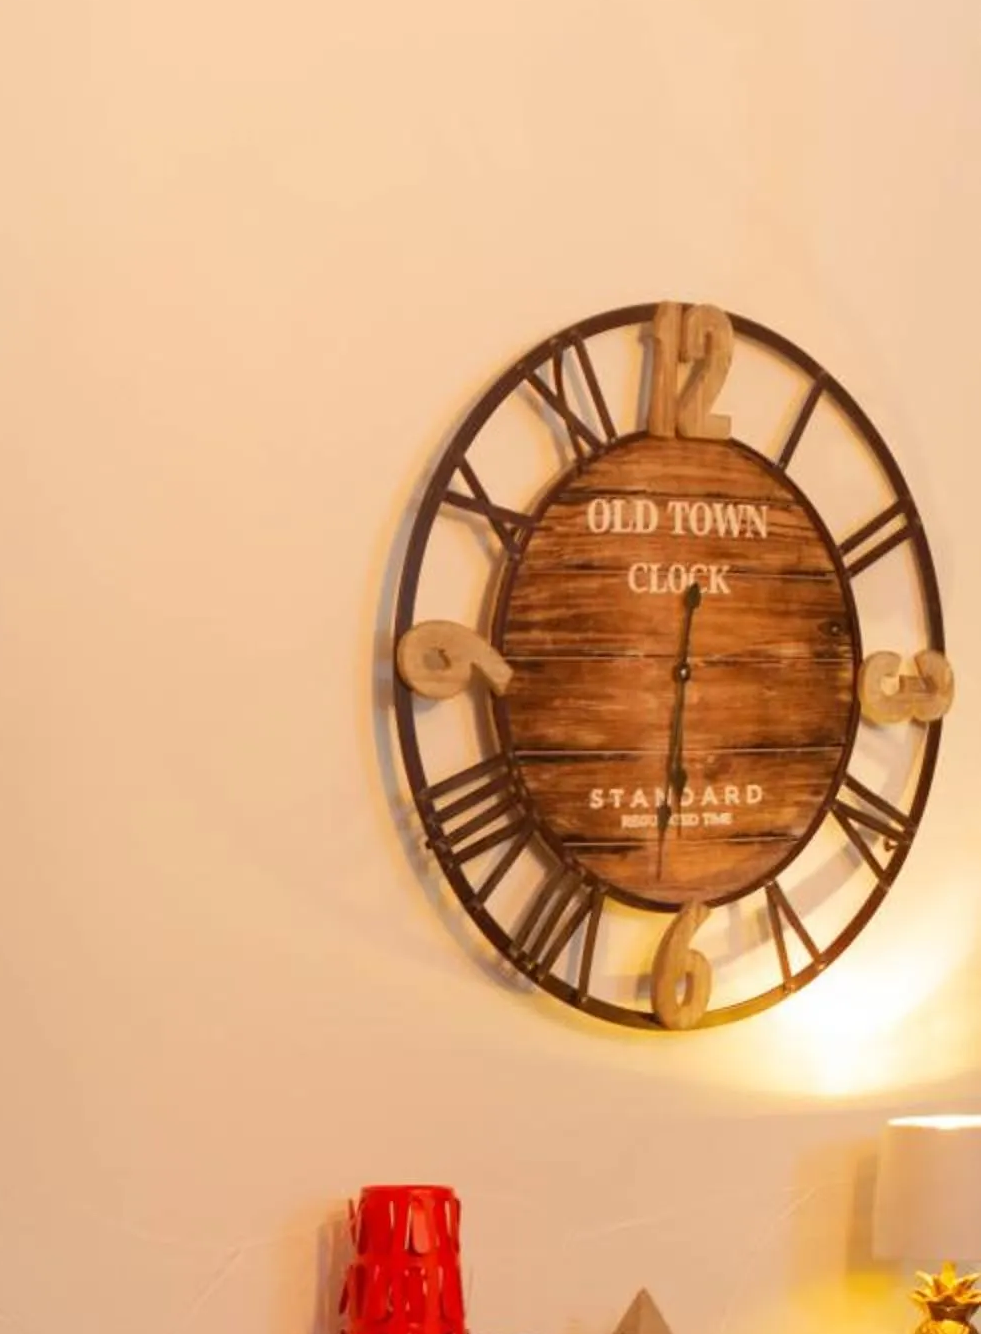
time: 12:30
